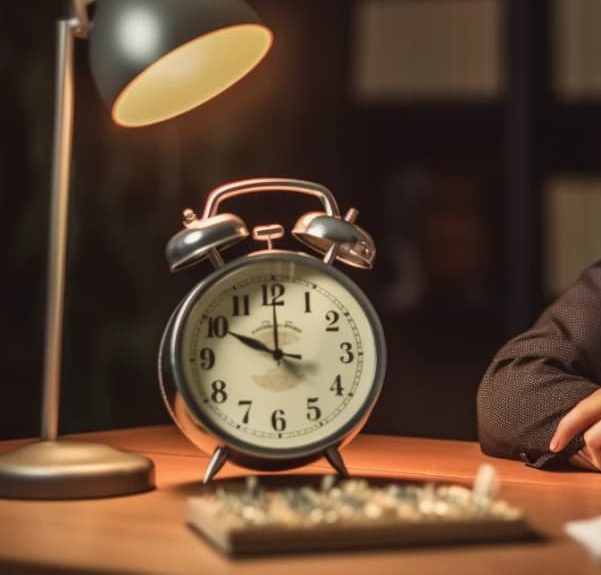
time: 10:00
